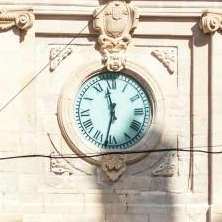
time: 11:32
